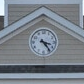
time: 3:23
